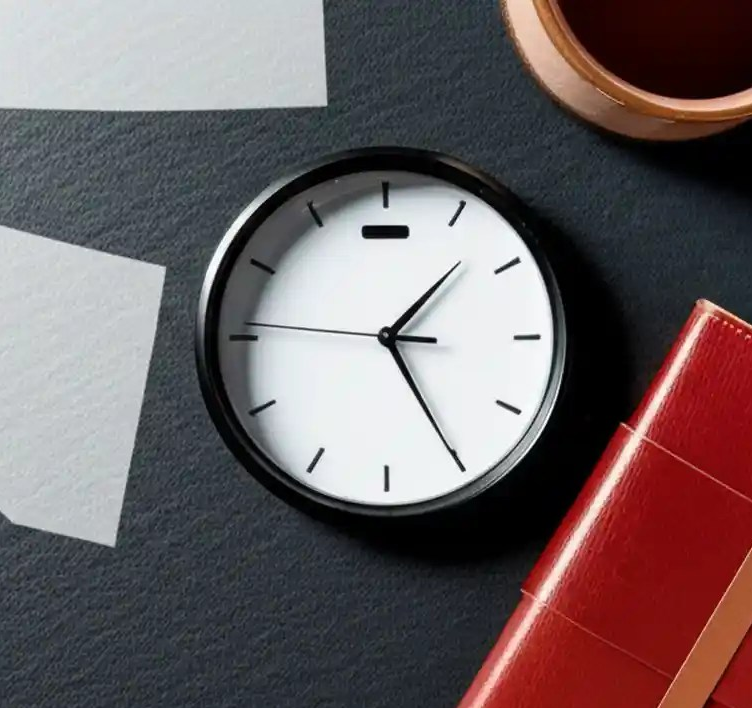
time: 1:25
